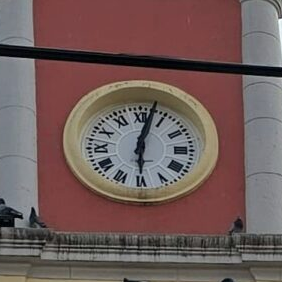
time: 6:02
